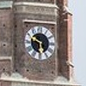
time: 5:49
